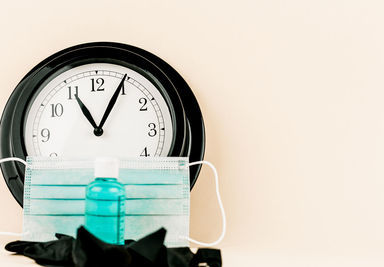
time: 11:04
